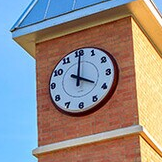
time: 4:00
